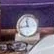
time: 11:42
